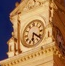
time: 6:21
